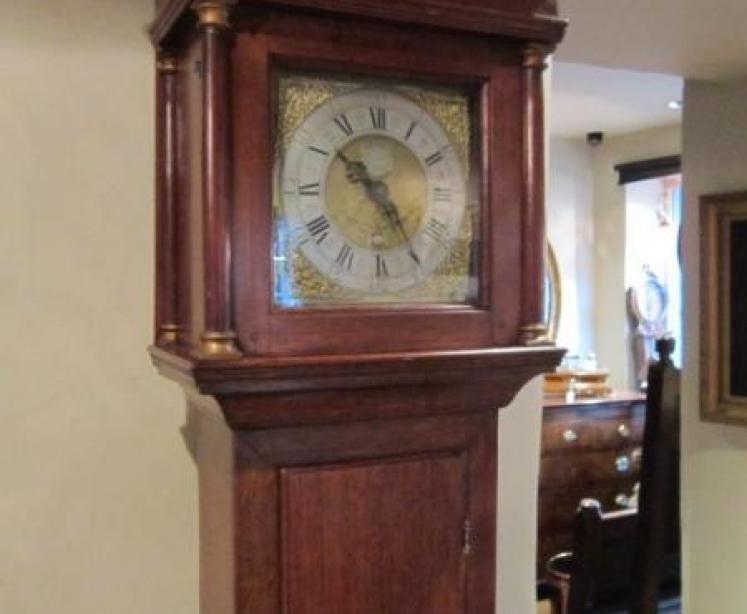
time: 10:23
